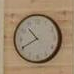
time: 10:40
